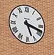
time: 5:18
